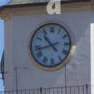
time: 10:42
